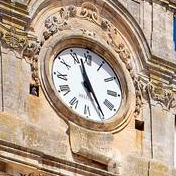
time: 4:57
